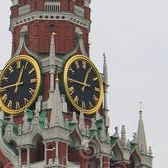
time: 12:45
